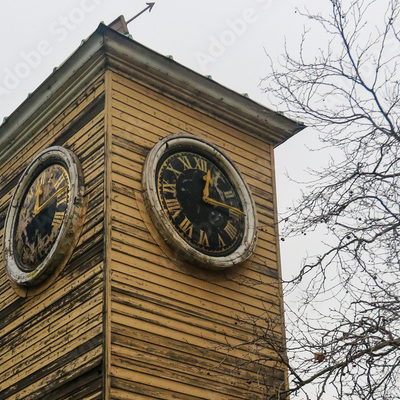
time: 12:16
